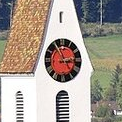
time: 2:55
